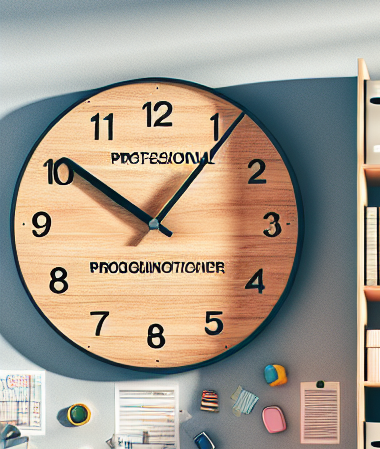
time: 10:06
